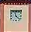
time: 11:22
